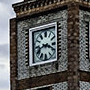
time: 8:18
